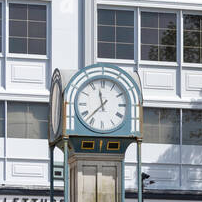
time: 11:37
